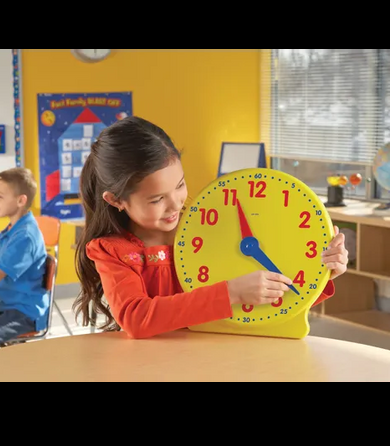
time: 4:21
